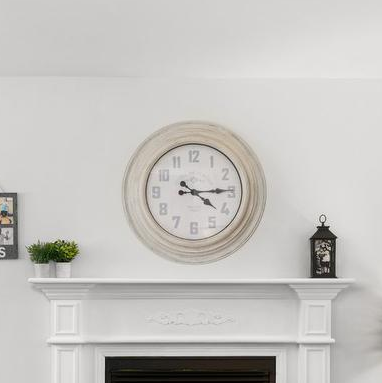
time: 4:14
